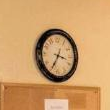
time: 3:34
